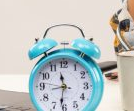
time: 11:31
